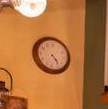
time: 4:23
